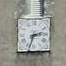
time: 2:33
